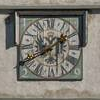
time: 1:40
